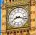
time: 8:17
